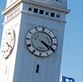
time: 4:19
